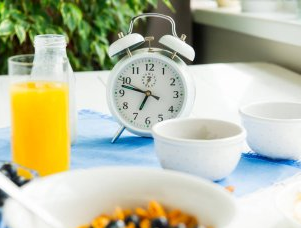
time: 6:47
